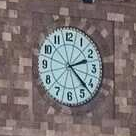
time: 2:22
